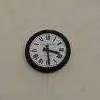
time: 3:28
